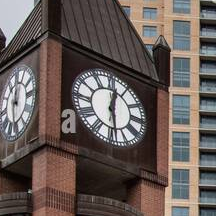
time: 12:28
